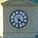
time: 4:30
